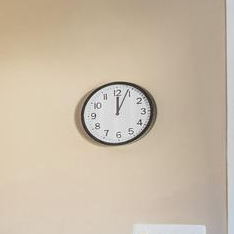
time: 12:03
